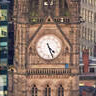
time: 4:26
